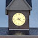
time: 8:21
